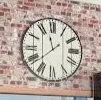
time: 11:38
